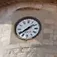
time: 1:38
